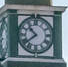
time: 10:38
